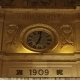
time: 7:01
